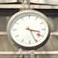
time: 3:25
